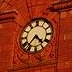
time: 4:36
